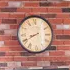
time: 8:40
